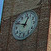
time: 12:49
